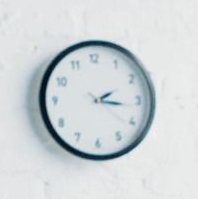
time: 2:16
